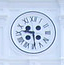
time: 9:28
